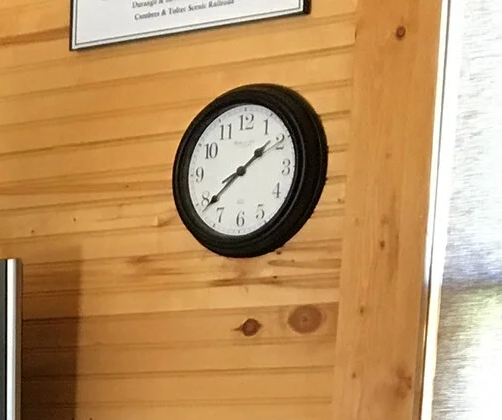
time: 1:38
